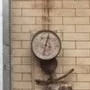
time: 12:32
